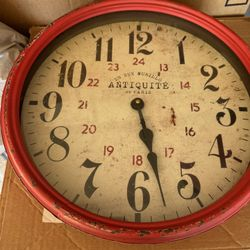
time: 5:27
